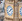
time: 1:38
